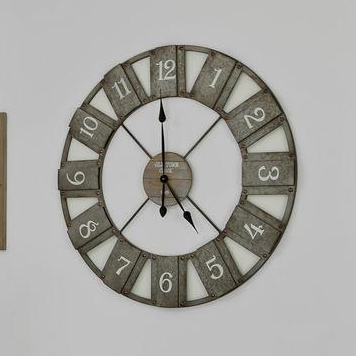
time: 4:59
